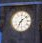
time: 7:08
